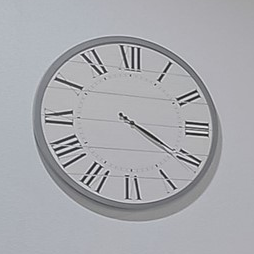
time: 4:20
